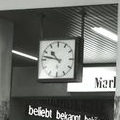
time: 10:47
